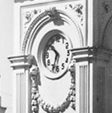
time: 10:33
